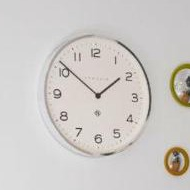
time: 1:51
